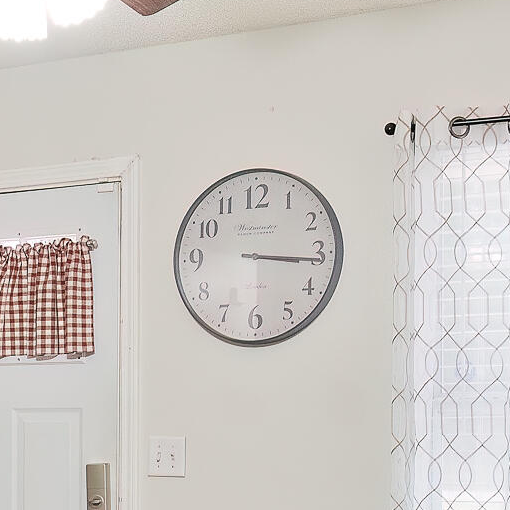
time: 3:15
